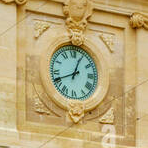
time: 12:41
